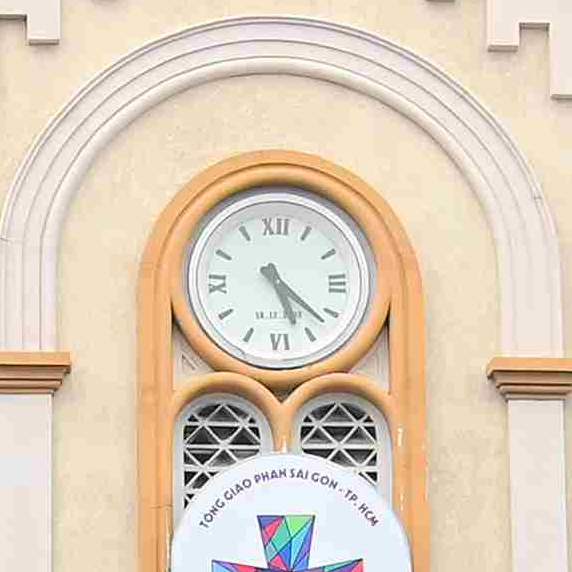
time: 5:22
